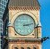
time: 3:12
